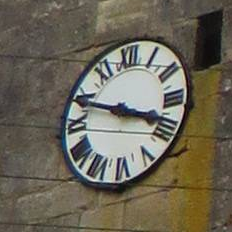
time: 3:48
